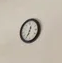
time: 12:34
